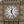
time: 12:26
